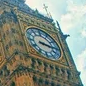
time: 3:16
